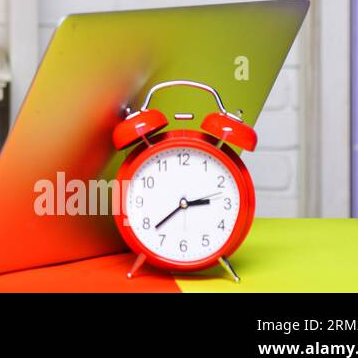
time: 2:38
